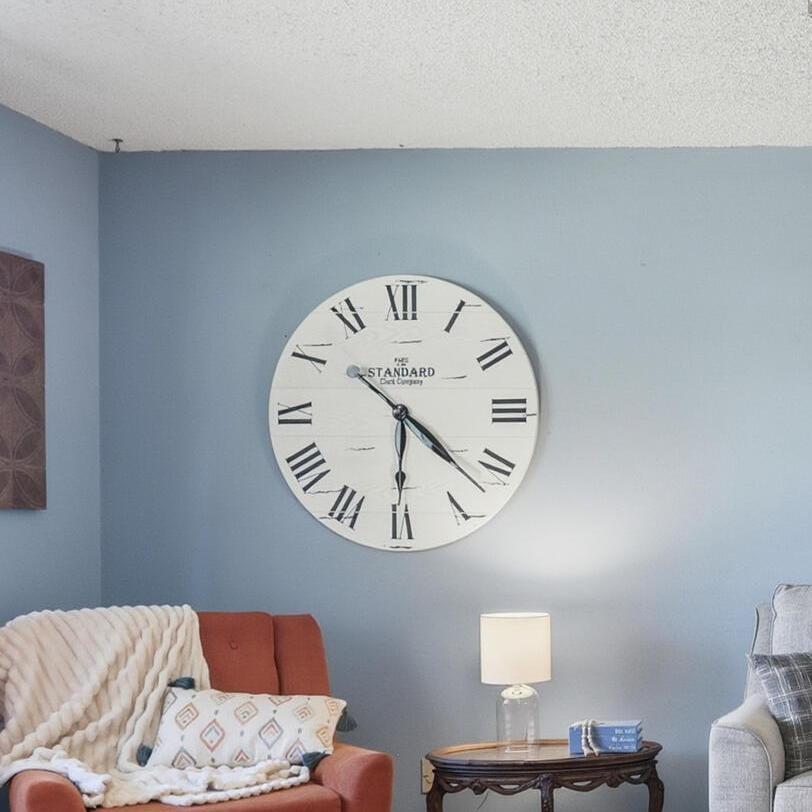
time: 4:30
